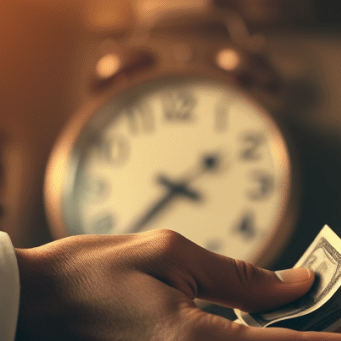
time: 1:37
